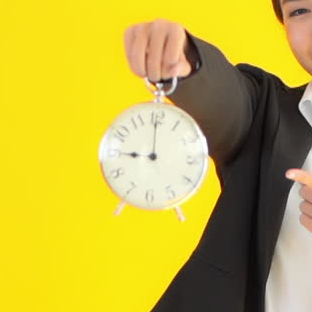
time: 9:00
